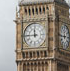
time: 11:44
